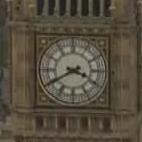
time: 3:40
